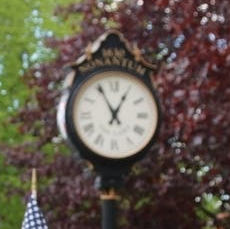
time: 12:55
